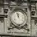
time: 11:57
